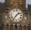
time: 1:36
